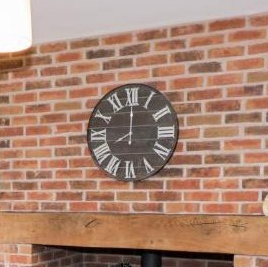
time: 8:00
